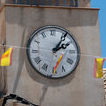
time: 2:06
